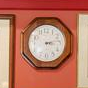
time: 3:12
